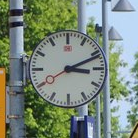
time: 3:11
